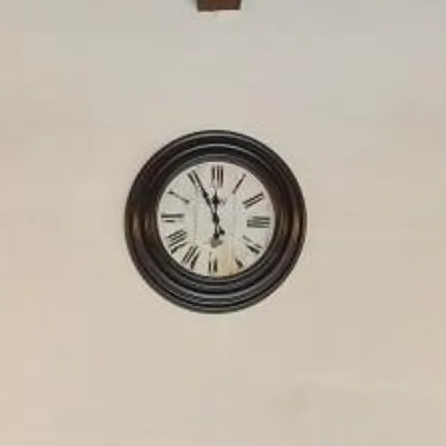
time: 11:55
